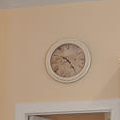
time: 10:24
